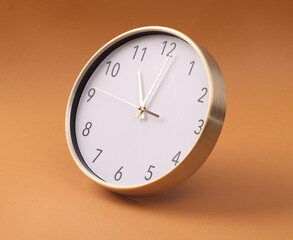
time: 11:01
